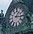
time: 1:16
